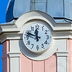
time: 11:48
